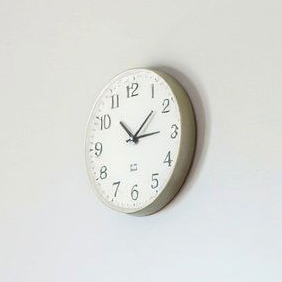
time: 2:52
